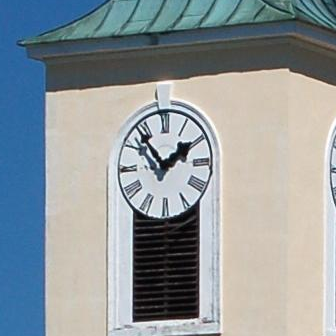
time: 1:53
